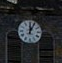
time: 12:04
